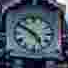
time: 4:50
